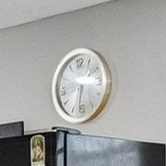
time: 6:32
